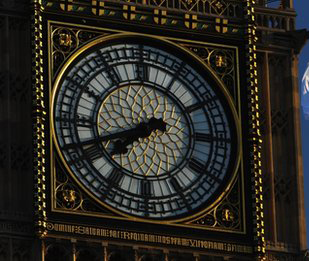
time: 7:41
